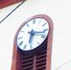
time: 6:17
